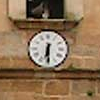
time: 6:29
